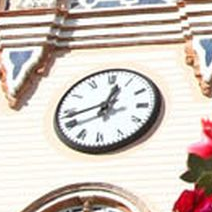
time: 12:42
